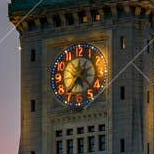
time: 12:36
